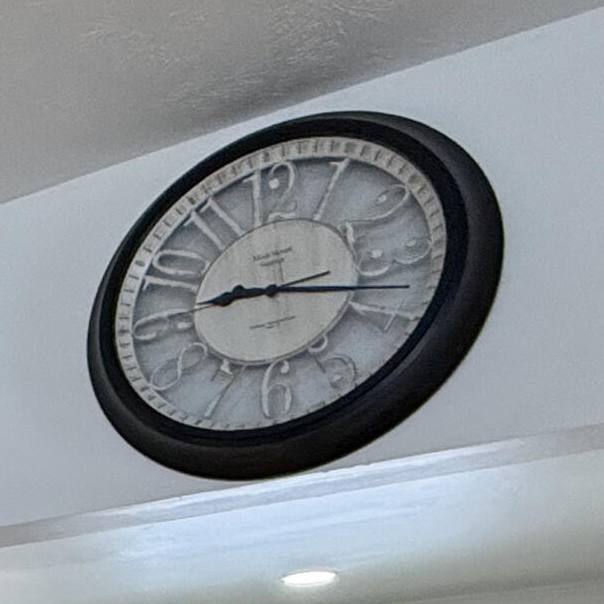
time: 9:17
